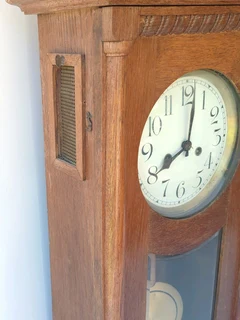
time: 8:01
